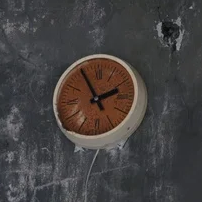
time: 1:55
